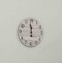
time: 11:58
